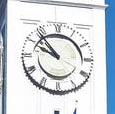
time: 9:53
